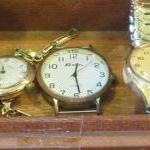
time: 12:28
